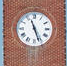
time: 11:26
